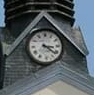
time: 3:21
